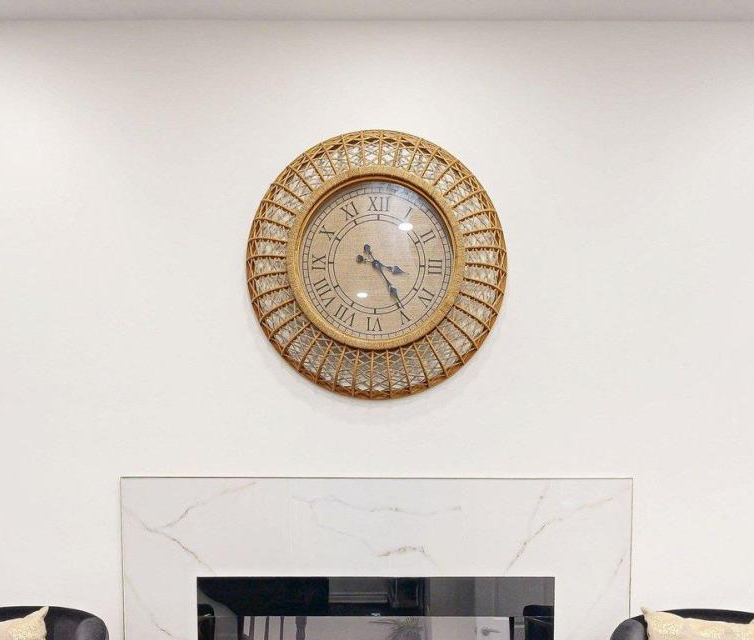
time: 3:24
